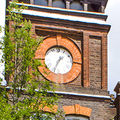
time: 1:34
